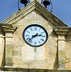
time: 2:38
